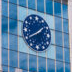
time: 1:40
